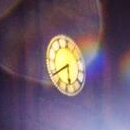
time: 5:39
